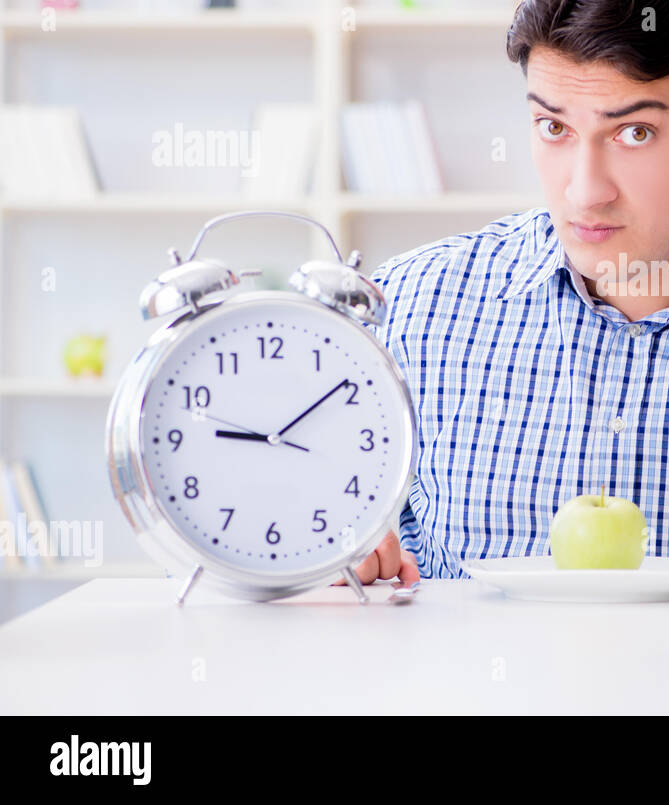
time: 9:09
